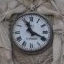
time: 11:19
